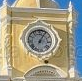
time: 1:05
